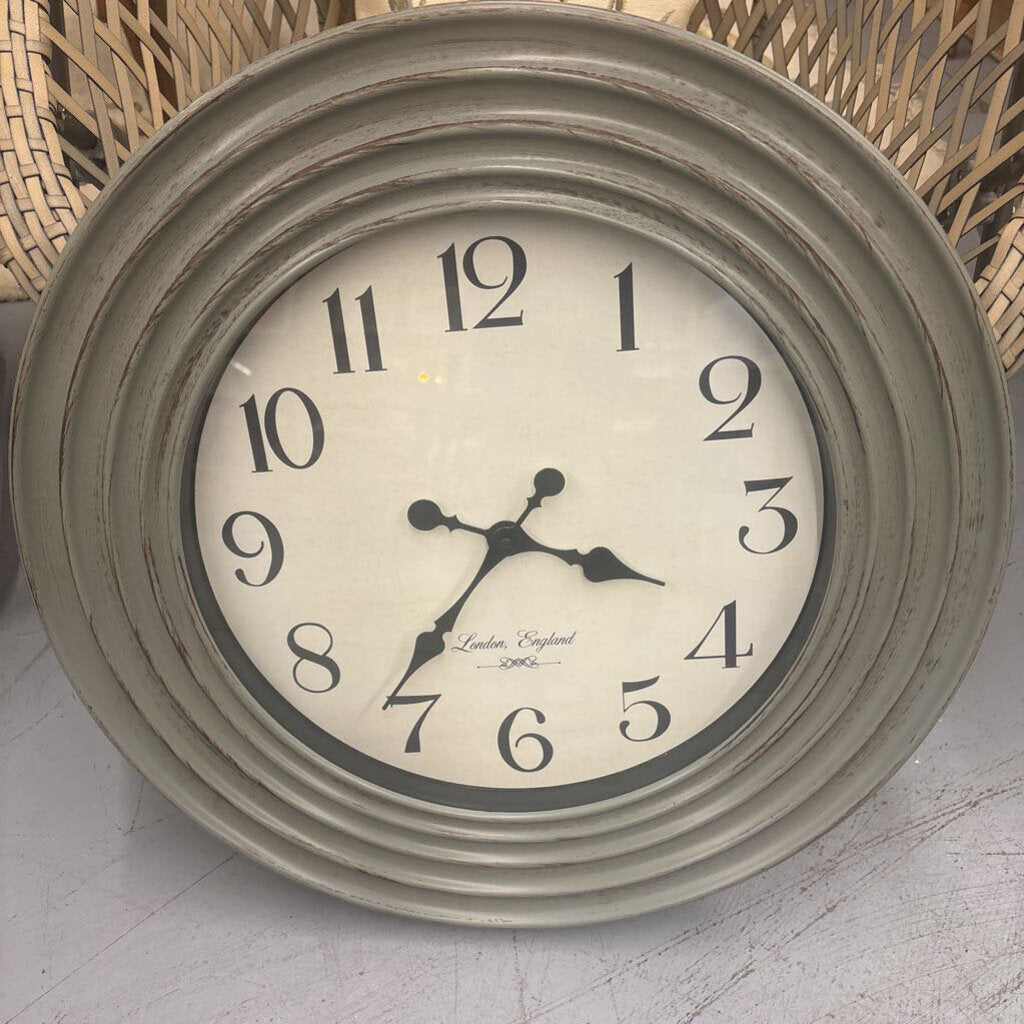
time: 3:36
